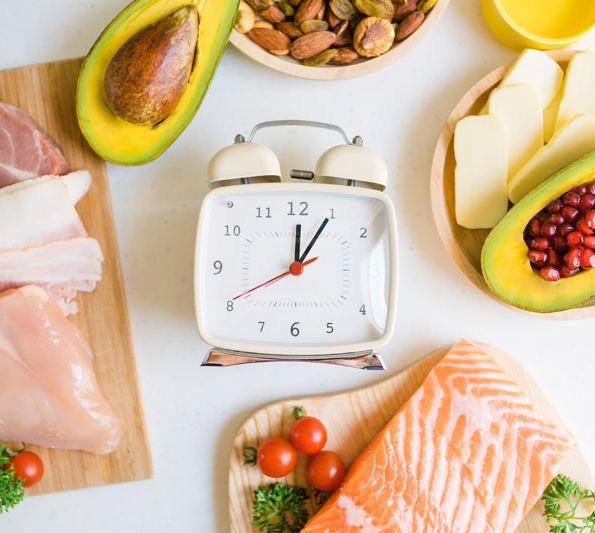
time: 12:05
